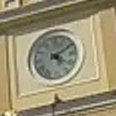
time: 4:09
